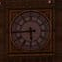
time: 5:44
